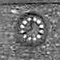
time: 11:40
